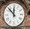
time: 11:52
